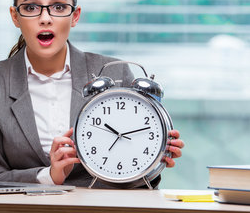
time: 10:12
